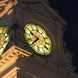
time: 9:36
